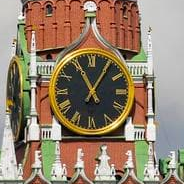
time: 11:05
